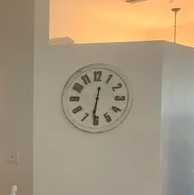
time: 6:31
